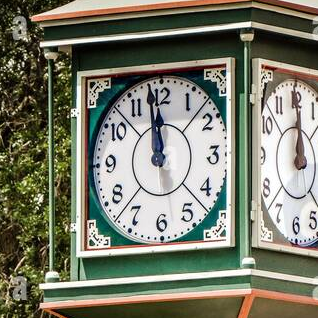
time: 11:58
